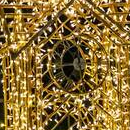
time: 11:44
